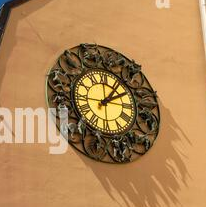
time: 2:06
